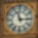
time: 11:14
